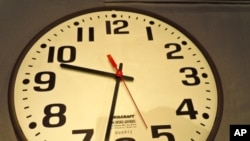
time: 9:32
